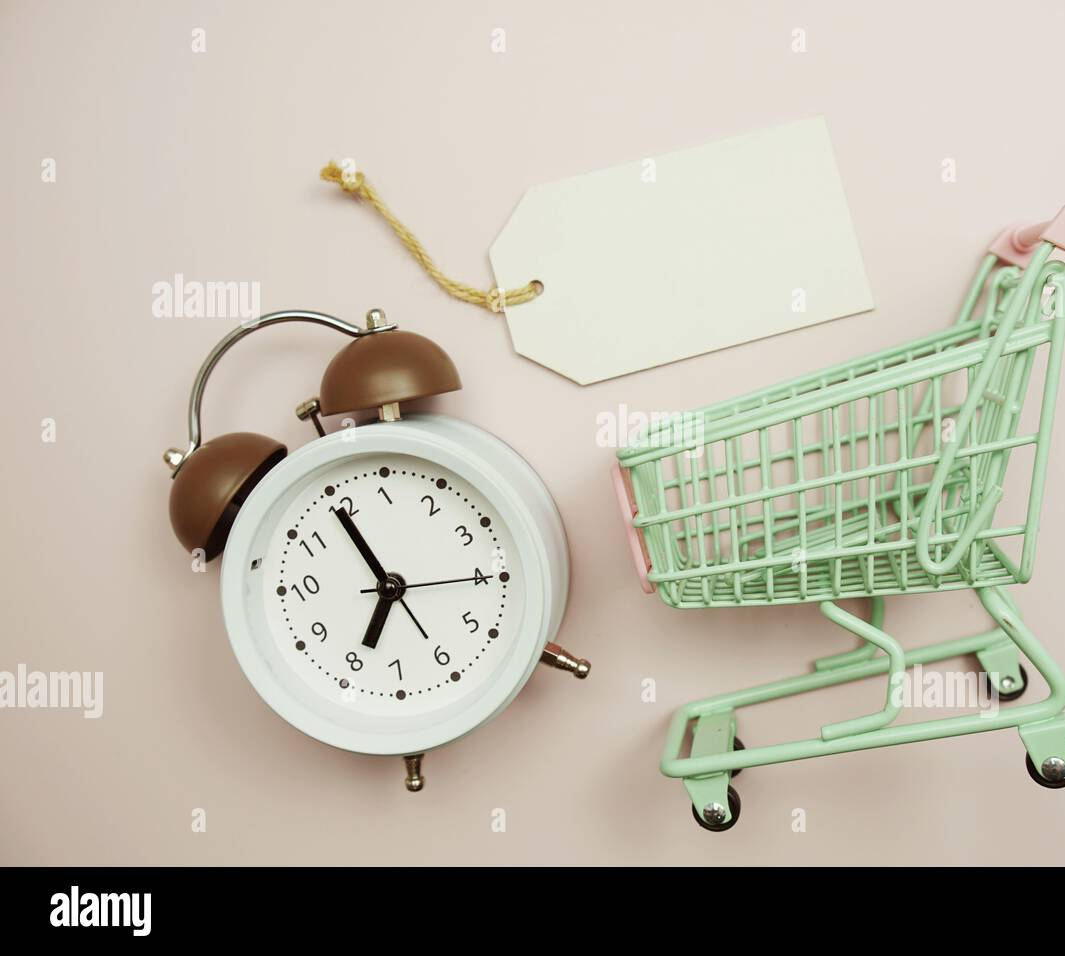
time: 6:54
